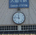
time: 11:46
